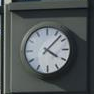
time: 4:07
